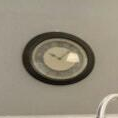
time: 10:07
